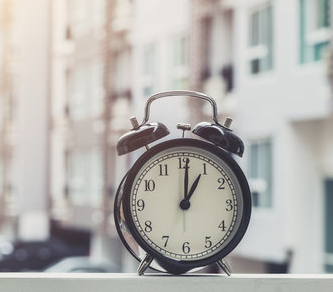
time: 1:00
